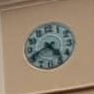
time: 4:40
